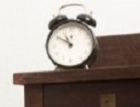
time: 10:50
